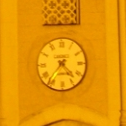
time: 4:36
